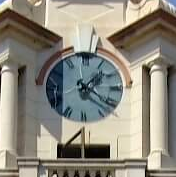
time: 1:21
